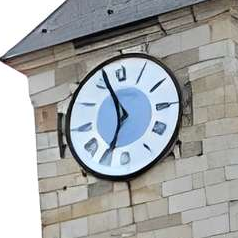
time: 6:56
